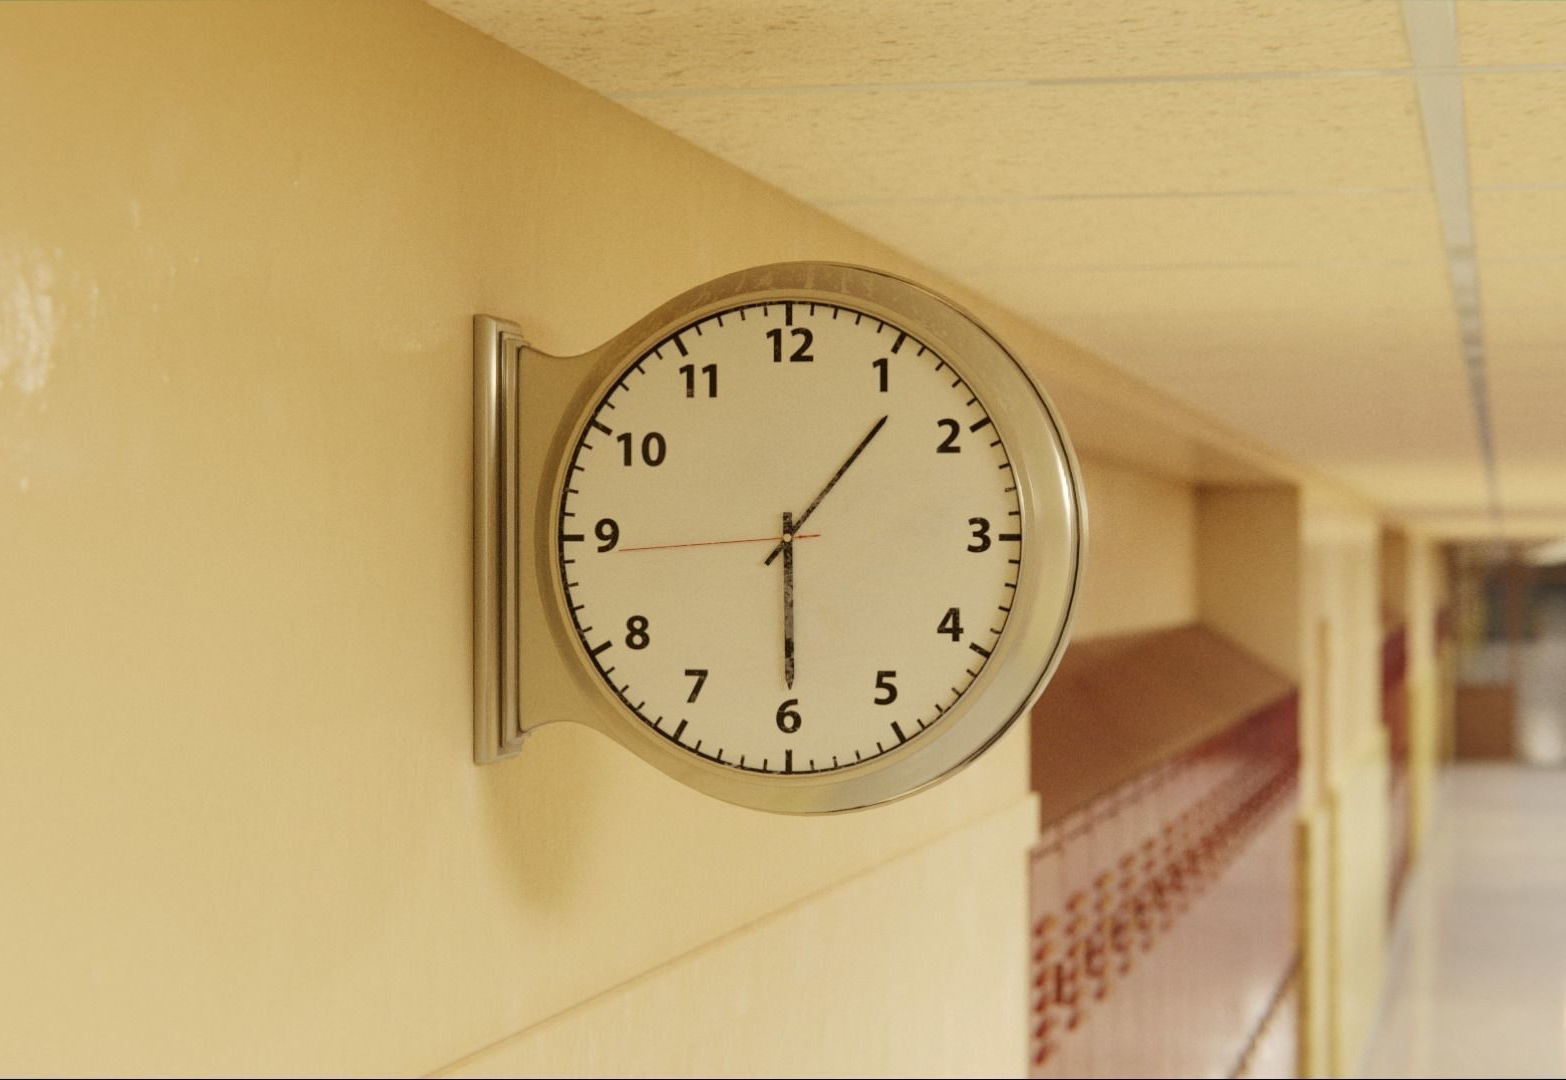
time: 1:29
